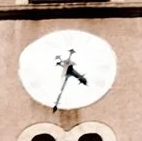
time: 4:33
